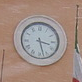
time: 3:27
